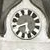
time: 5:40
